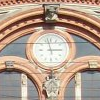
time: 2:57
